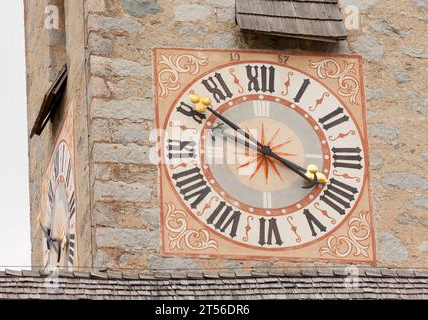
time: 3:51
